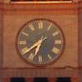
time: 6:38
